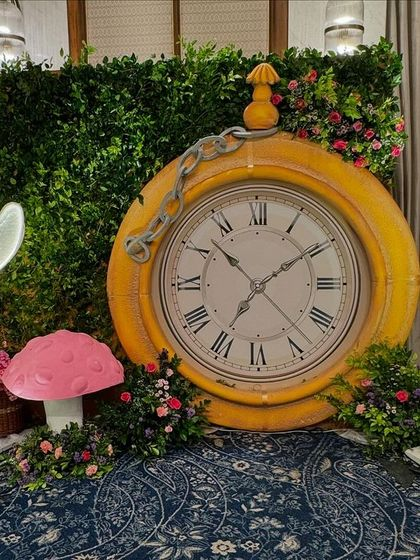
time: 7:09
